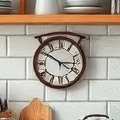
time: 2:50
